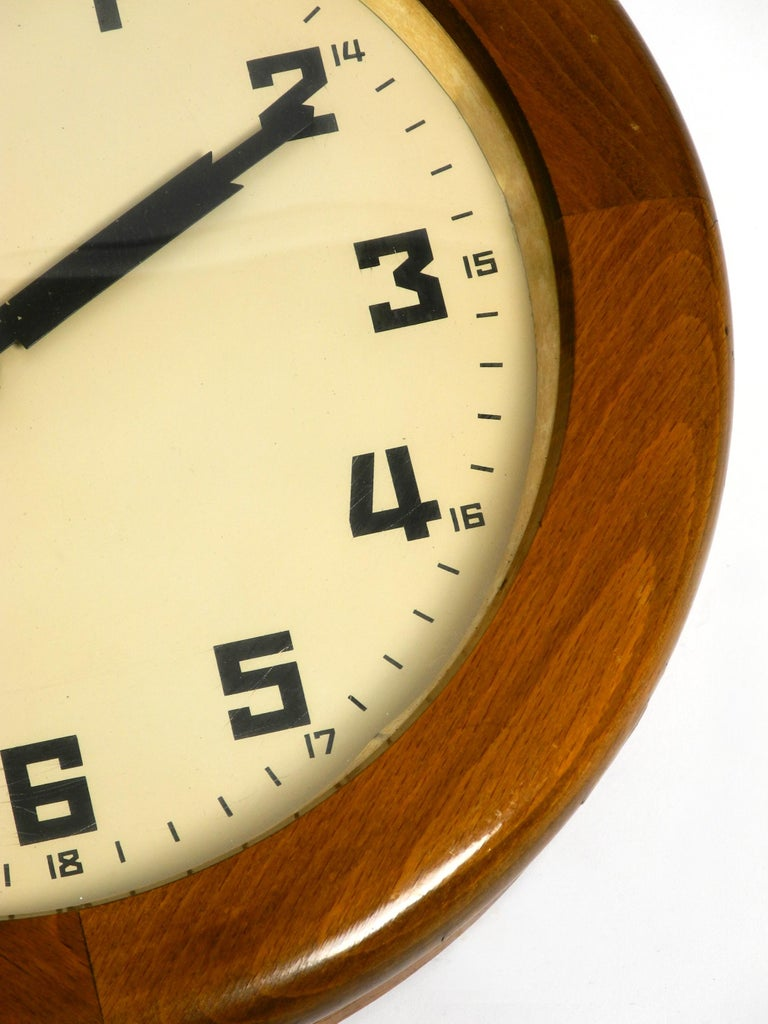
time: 2:10
